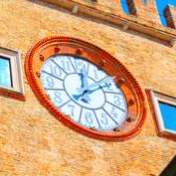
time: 12:09
